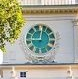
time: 9:01
